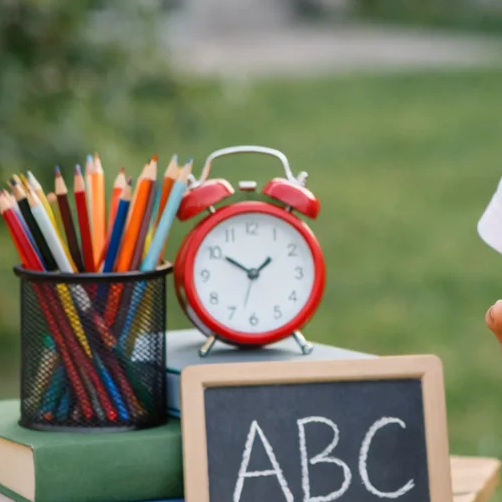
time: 1:50
